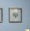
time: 4:12
